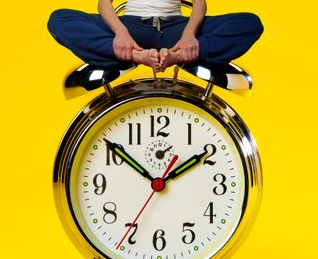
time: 1:51
